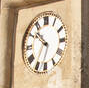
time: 10:35
